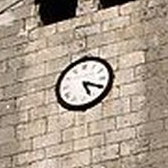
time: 5:19
